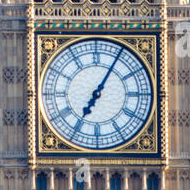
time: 7:05
